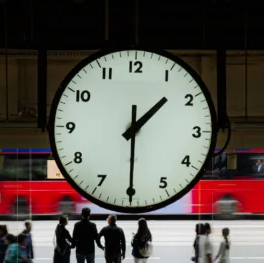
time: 1:29
